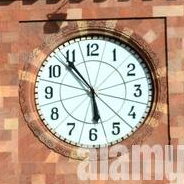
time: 5:53
